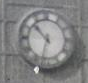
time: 10:32
